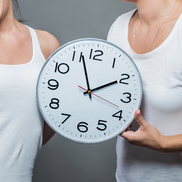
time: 1:56
